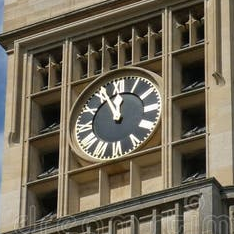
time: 11:55
